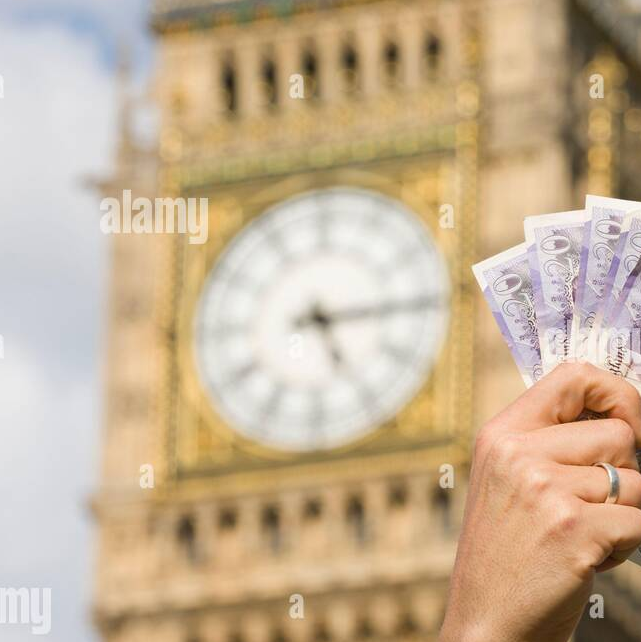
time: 5:14
